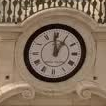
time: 12:59
